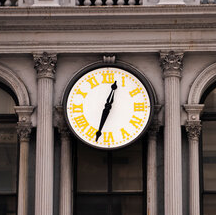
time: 12:32
